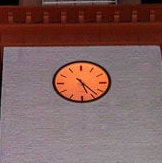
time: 5:23
